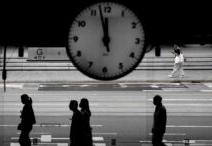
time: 11:57
